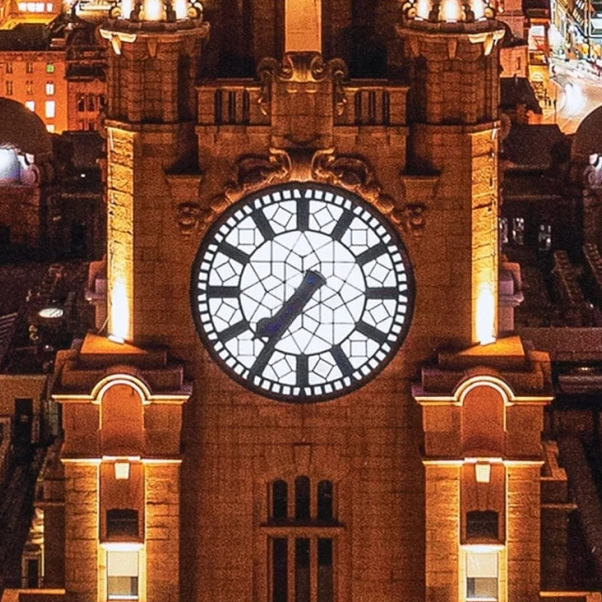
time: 7:35
